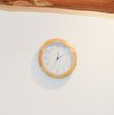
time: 12:09
